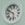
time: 5:49
